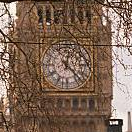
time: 12:22
